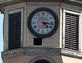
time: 4:16
